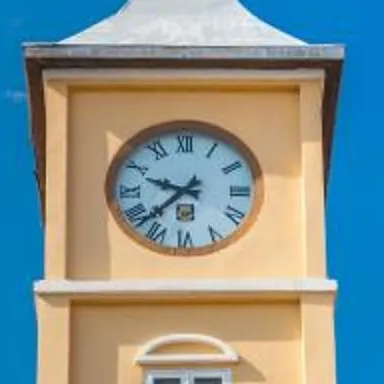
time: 9:37
